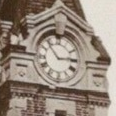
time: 2:53
